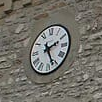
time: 2:25
